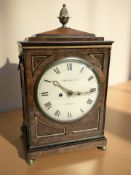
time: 10:15
